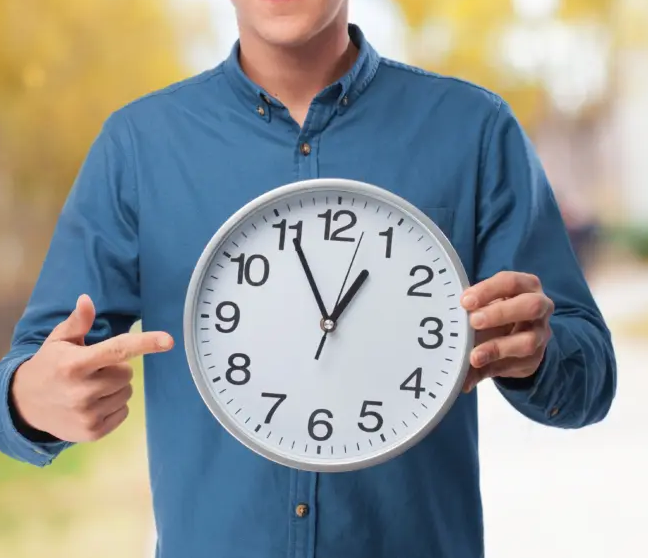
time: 12:55
